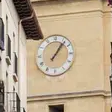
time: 1:06
